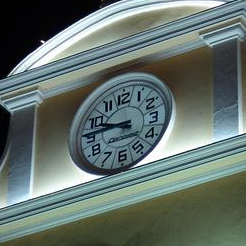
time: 9:45
